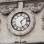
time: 1:26
